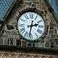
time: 2:32
